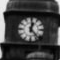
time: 12:23
